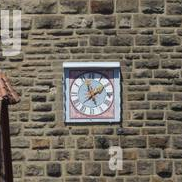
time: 1:57
